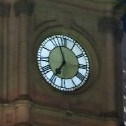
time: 6:56
